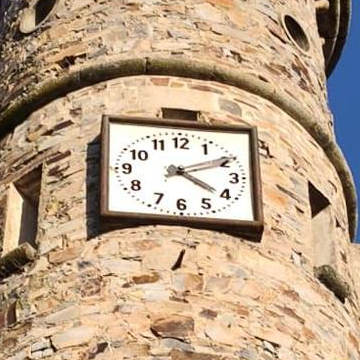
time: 4:10
